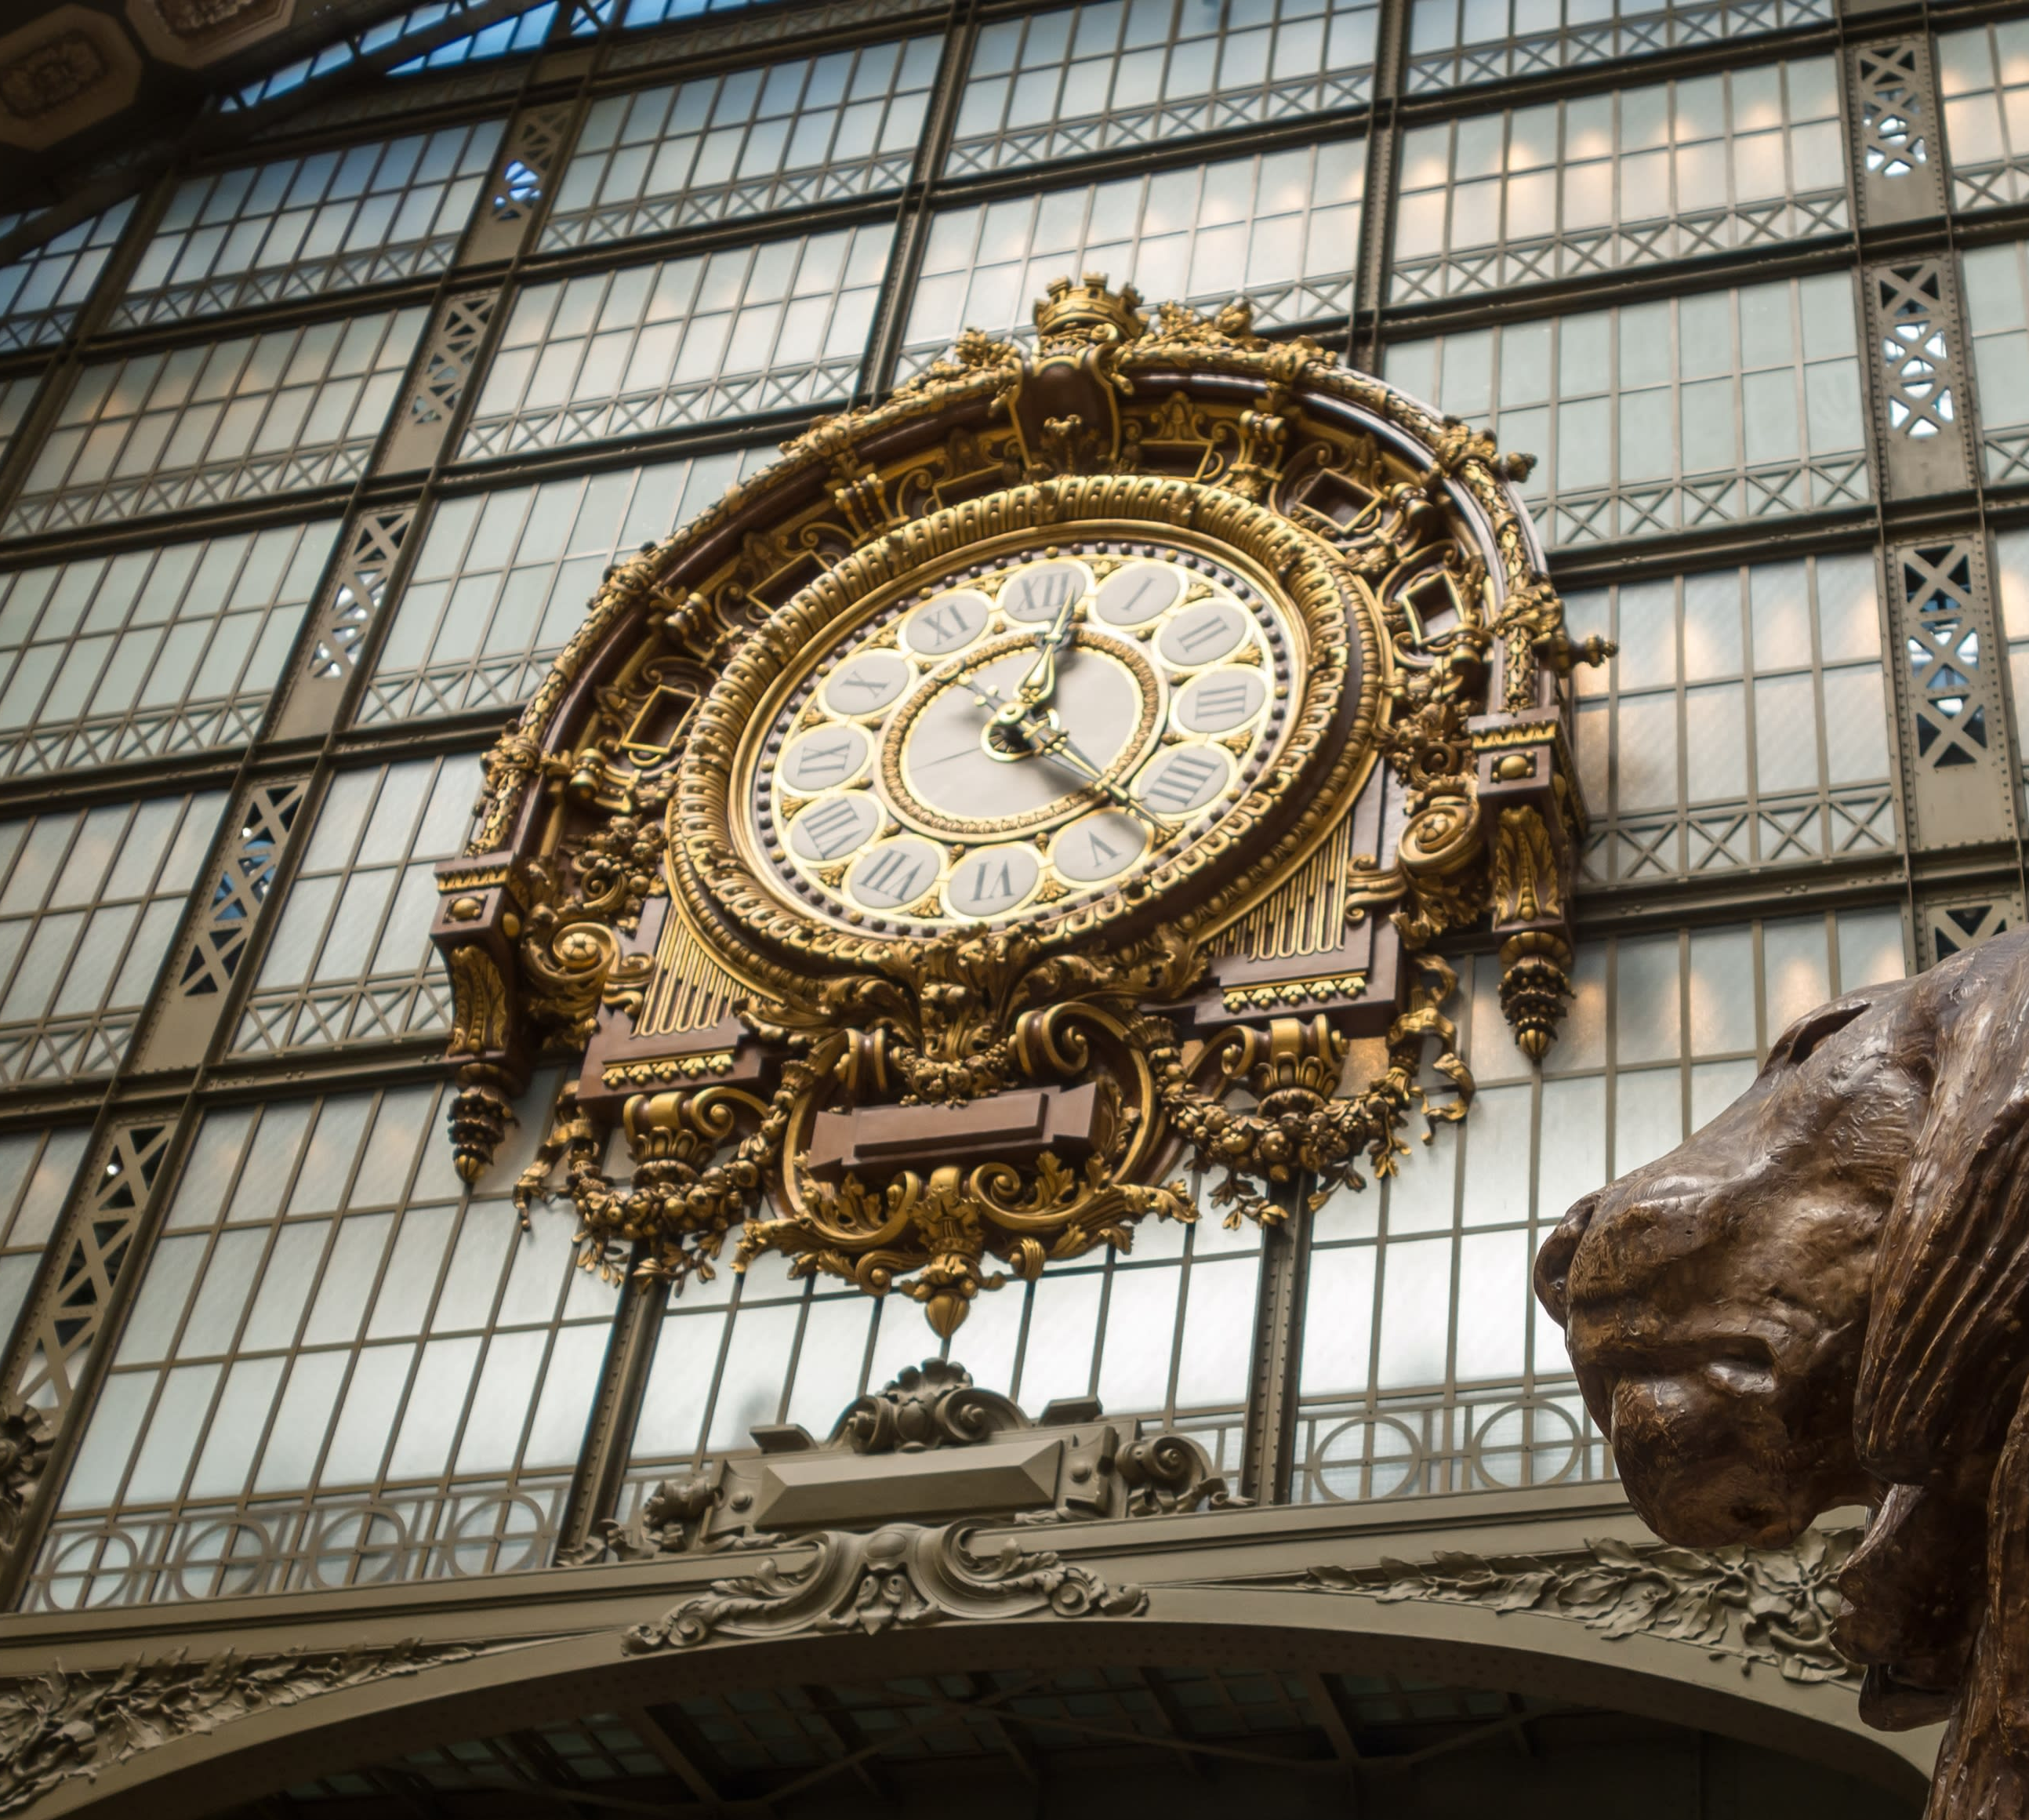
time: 12:22
